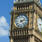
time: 2:23
